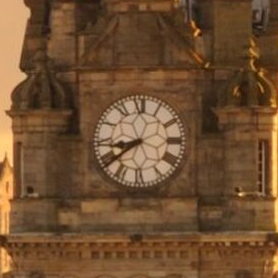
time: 8:38
